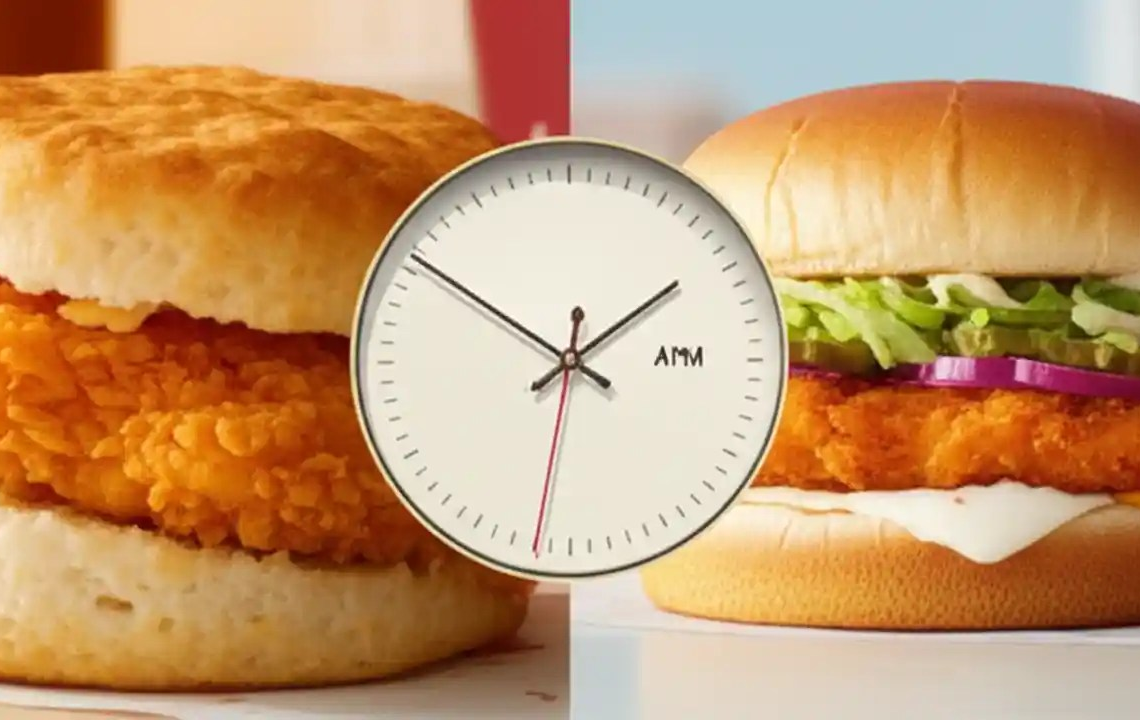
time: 1:50
